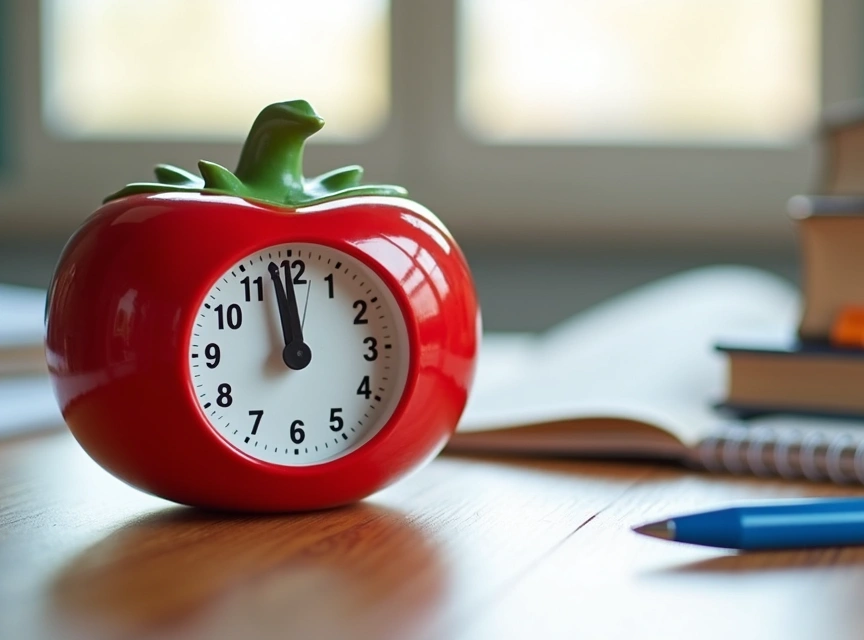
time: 11:58
